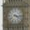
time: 4:16
